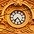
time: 7:24
